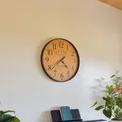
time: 4:38
